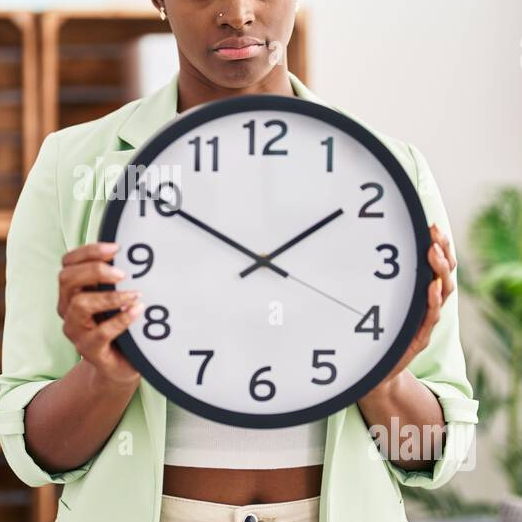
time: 1:50
